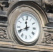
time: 11:41
